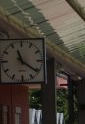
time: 11:21
